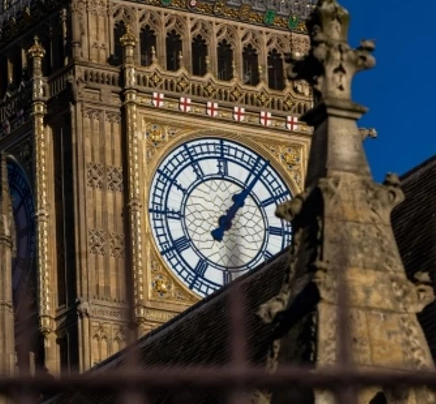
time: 1:06
